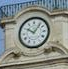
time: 10:06
